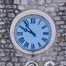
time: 9:53
